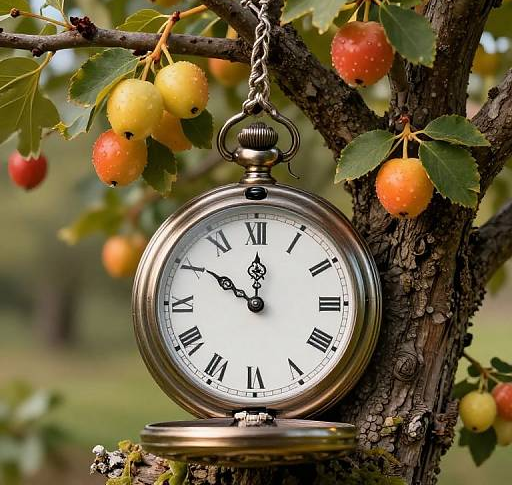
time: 11:50
